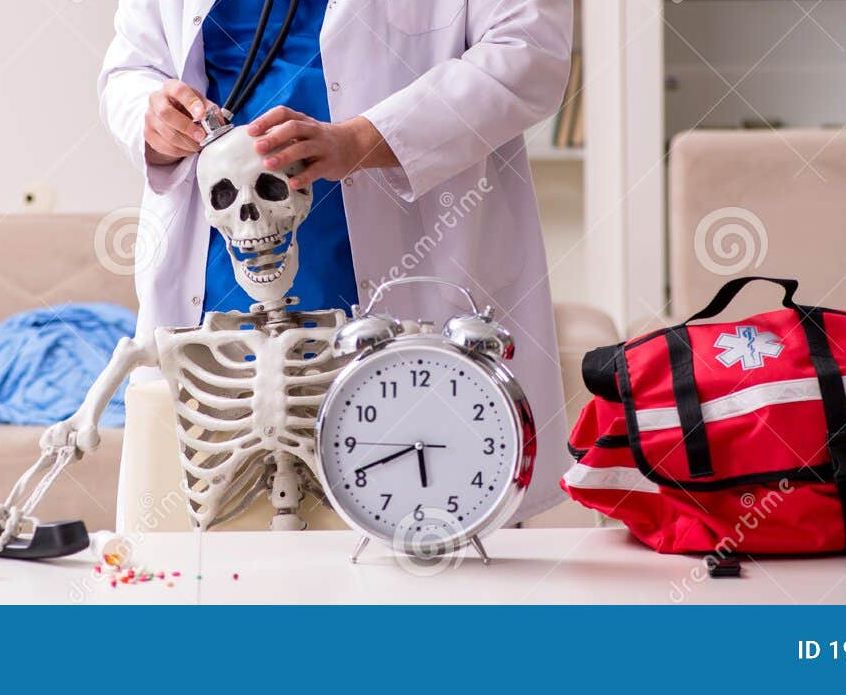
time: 5:41
